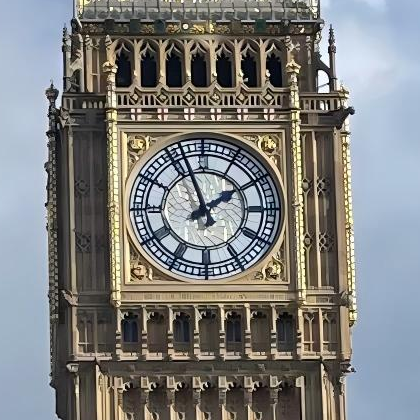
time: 1:56
